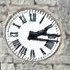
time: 2:16
